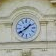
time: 1:39
